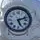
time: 5:12
